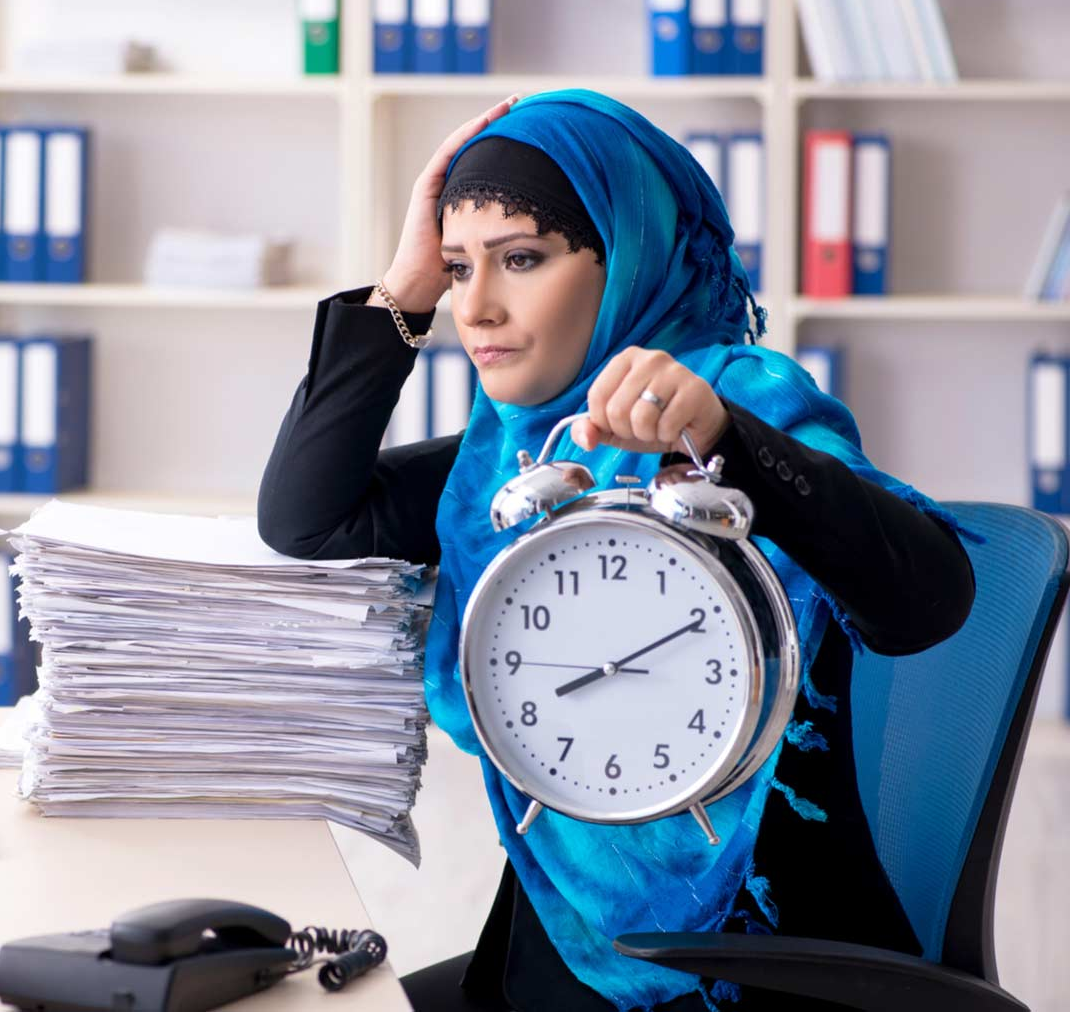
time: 8:10
